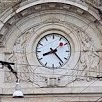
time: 8:23
